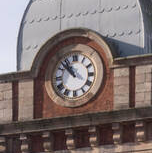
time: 10:52
